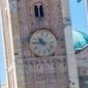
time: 10:45
